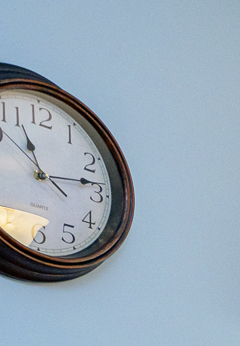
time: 11:13
